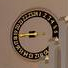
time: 8:43
